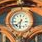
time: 7:32
